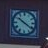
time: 10:21
